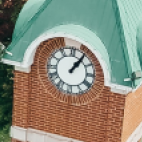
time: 1:05
